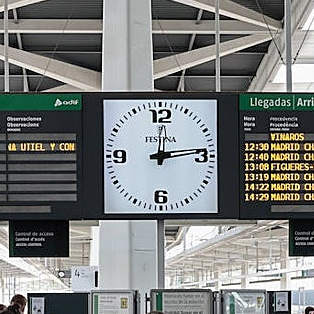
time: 12:13
